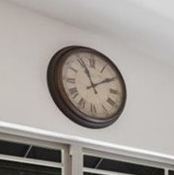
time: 11:09
